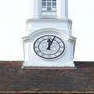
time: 12:03
